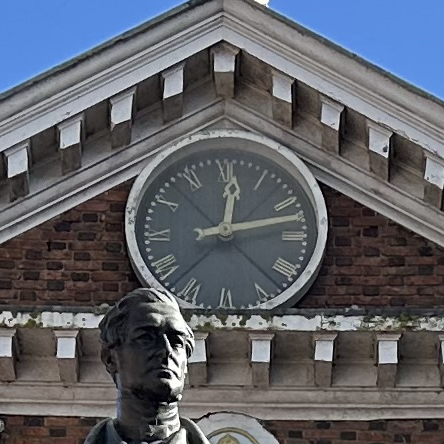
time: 12:12
